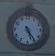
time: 5:24
